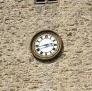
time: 2:42
